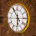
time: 5:54
